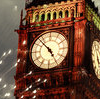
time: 4:52
